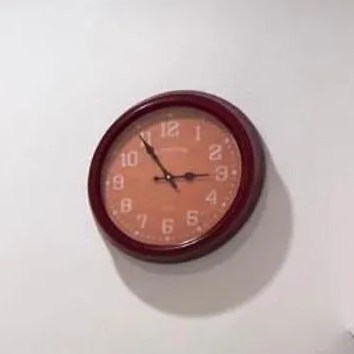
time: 2:54
